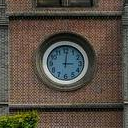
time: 3:01
